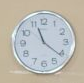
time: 11:21
